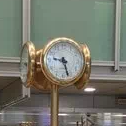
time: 9:27
